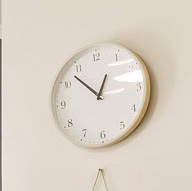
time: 12:52
